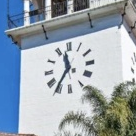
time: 11:35
